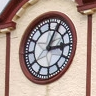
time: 3:04
